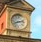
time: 8:12
